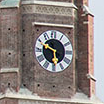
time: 5:49
